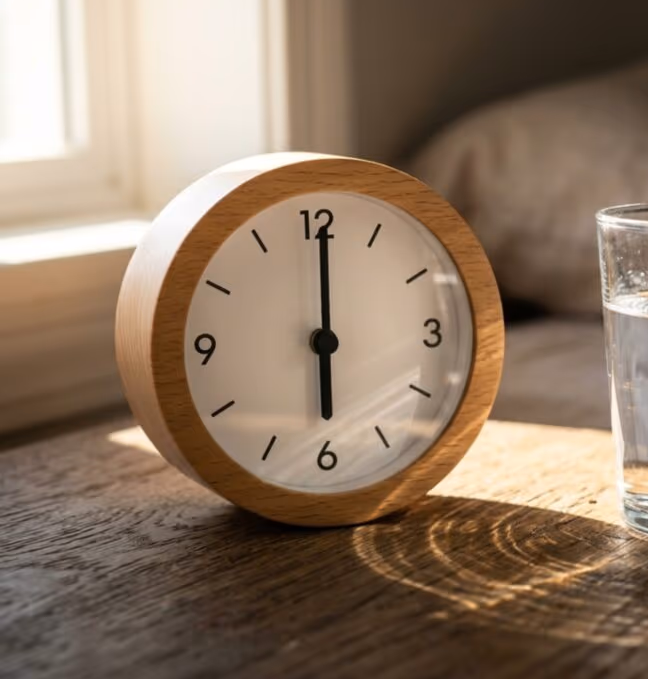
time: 6:00
